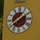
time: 1:39
